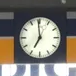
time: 6:59
